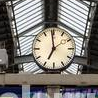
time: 6:58
